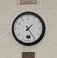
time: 1:24
